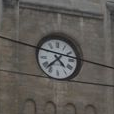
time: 4:37
